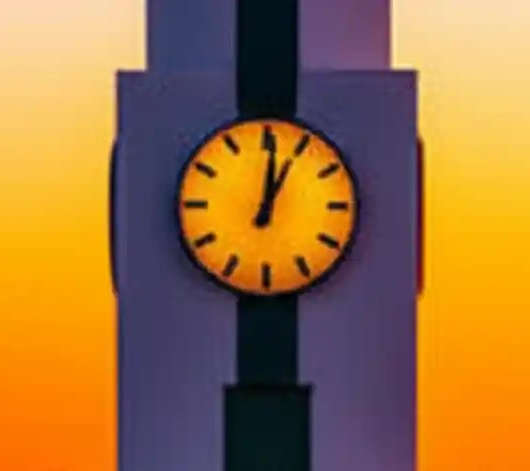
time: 1:01
